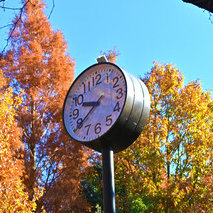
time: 9:39
